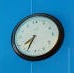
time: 7:34
